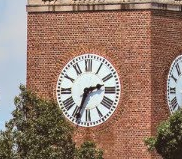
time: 2:33
